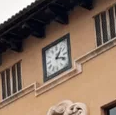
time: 1:18
